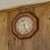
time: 5:26
